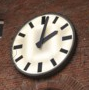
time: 2:01
